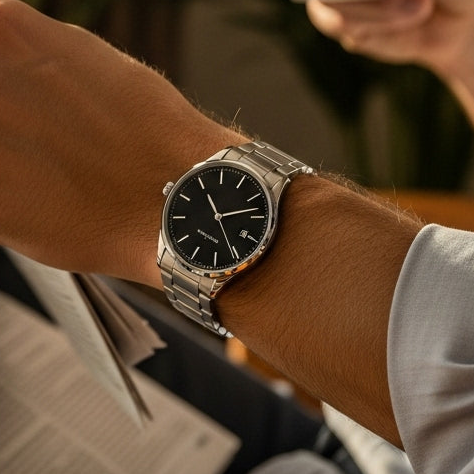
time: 11:13
